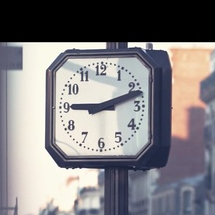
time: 9:11
